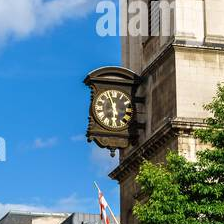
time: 5:57
